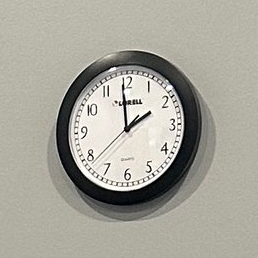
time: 1:58
